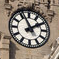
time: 1:56
